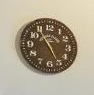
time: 4:54
